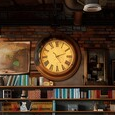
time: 2:24
